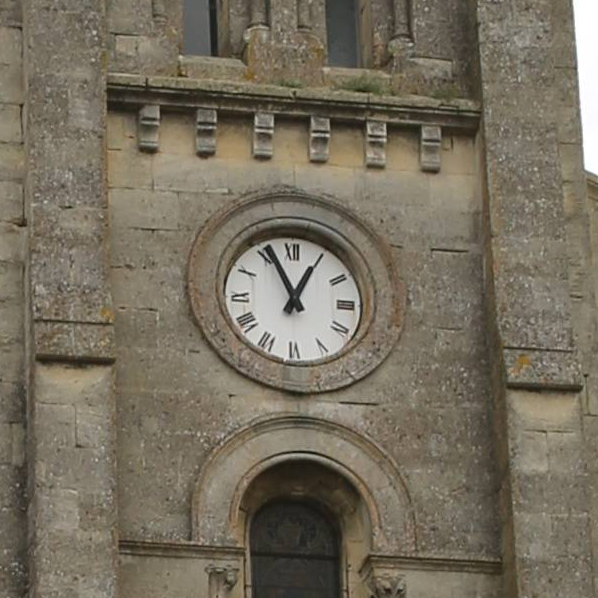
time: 12:55
